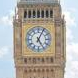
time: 5:04
